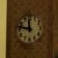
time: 11:47
